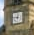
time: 9:01
